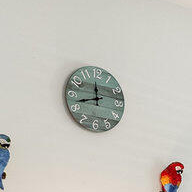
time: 11:42
